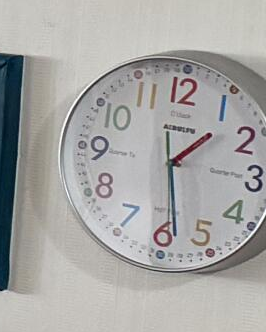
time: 1:28
